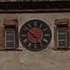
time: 4:51
